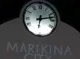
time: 6:13
